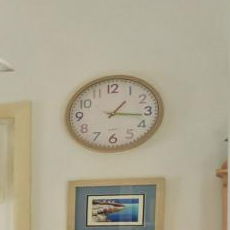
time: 1:16
